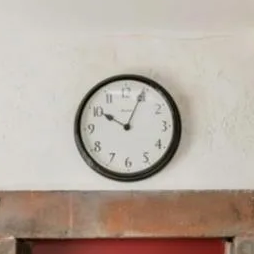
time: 10:04
